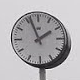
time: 1:56
